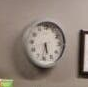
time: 5:31
